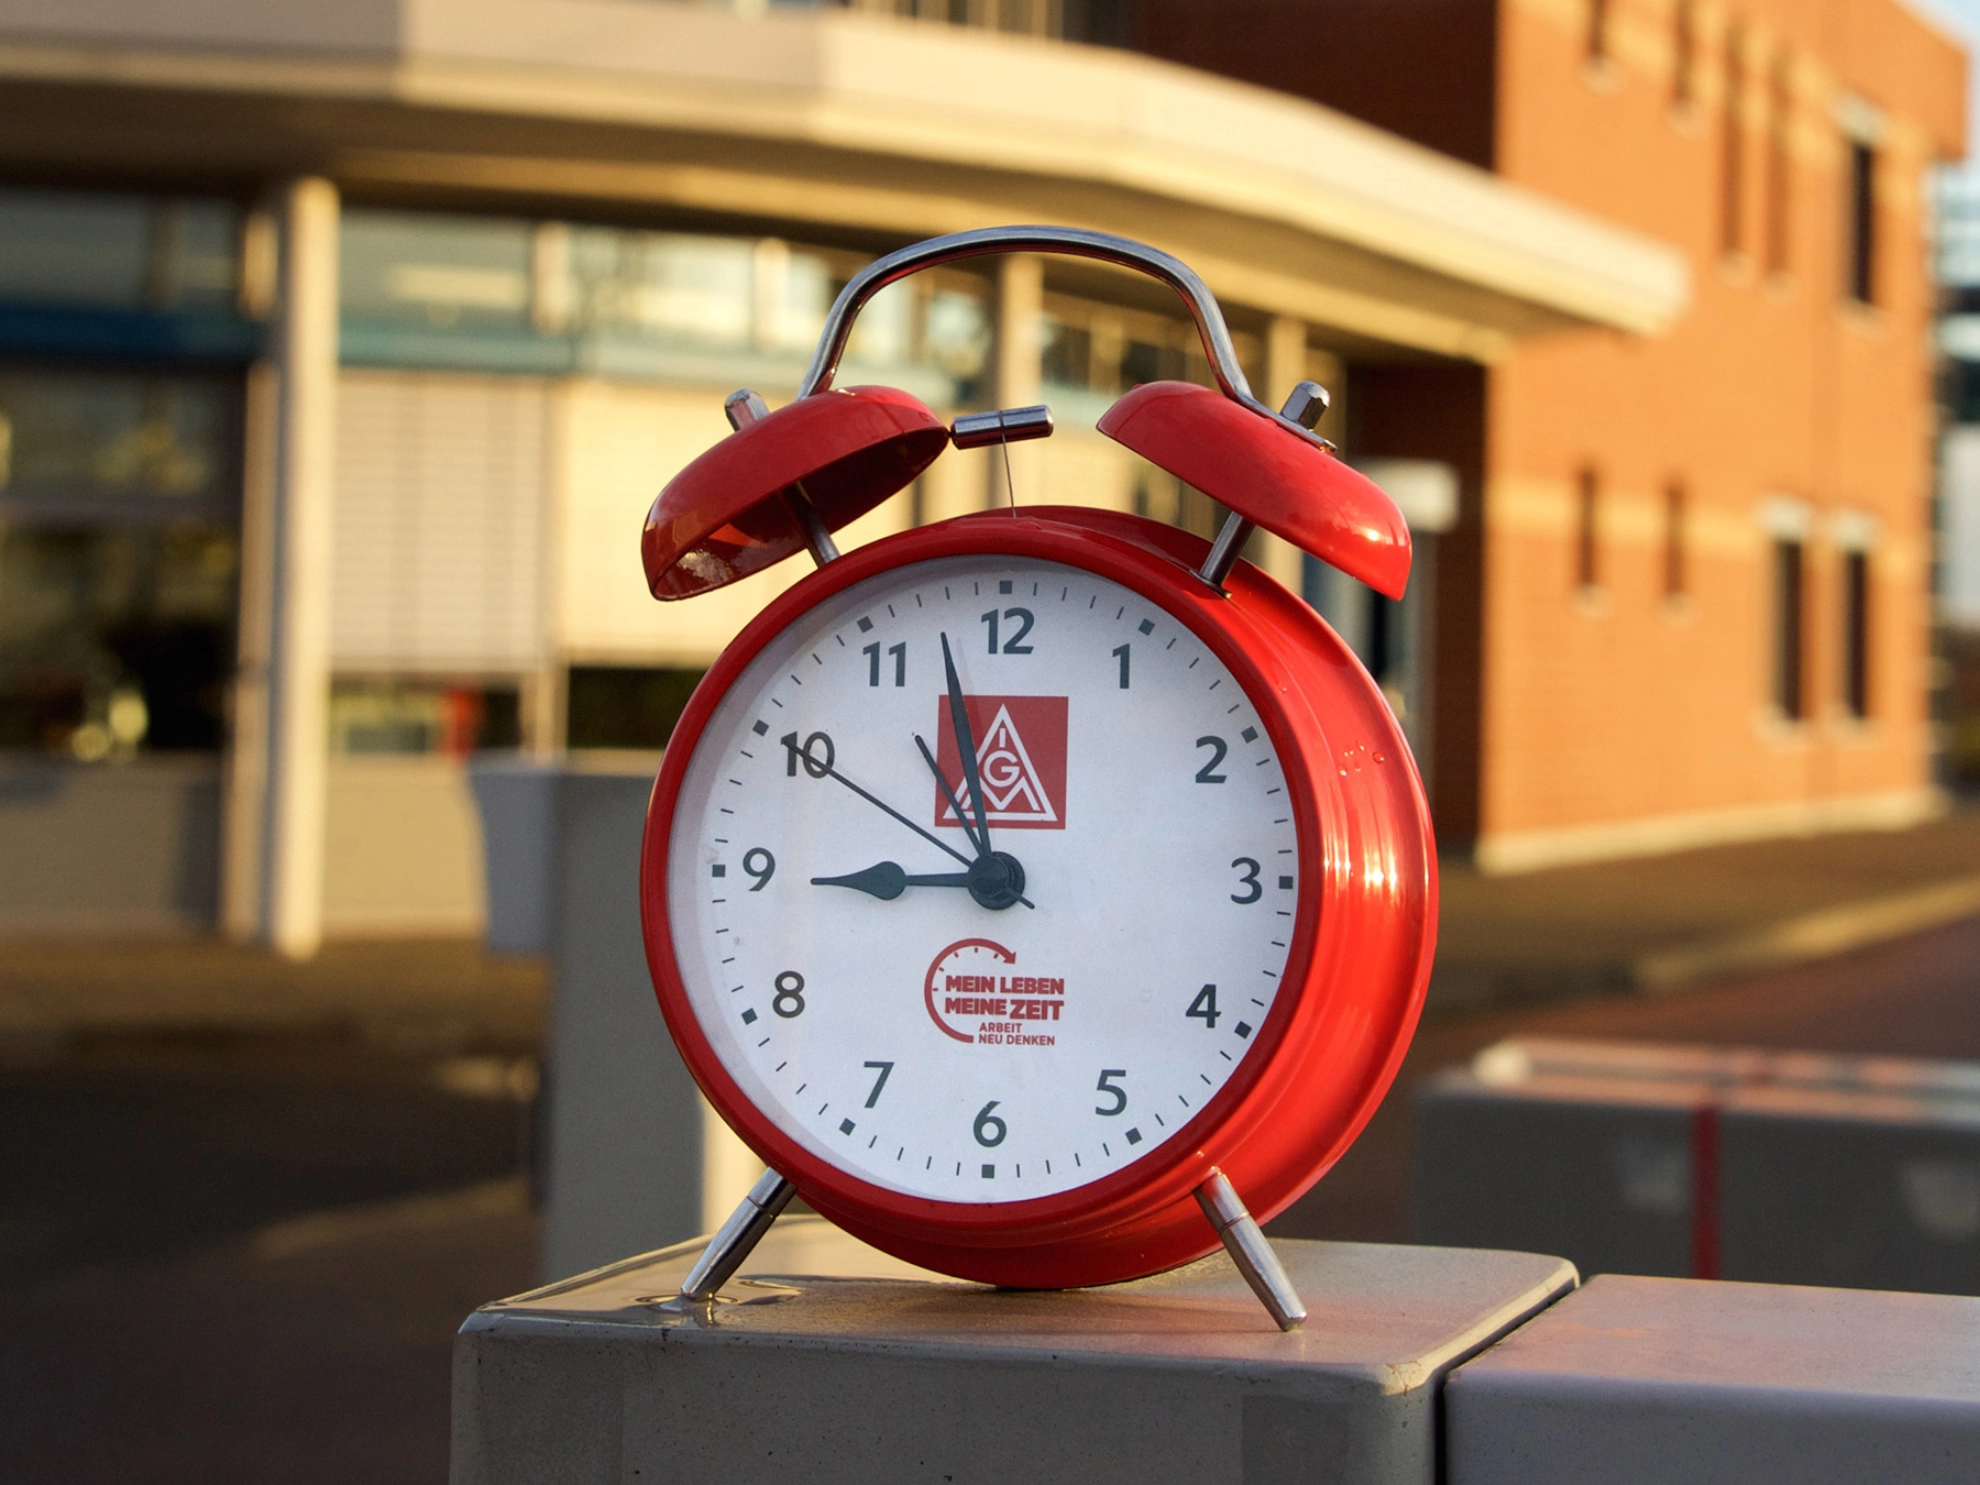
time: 8:57
